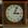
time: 3:04
